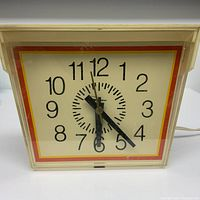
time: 6:23
